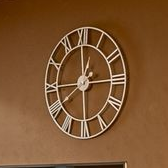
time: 12:59
